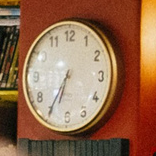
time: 6:35
